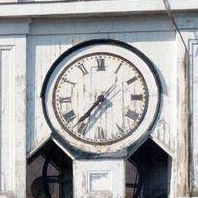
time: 7:36
